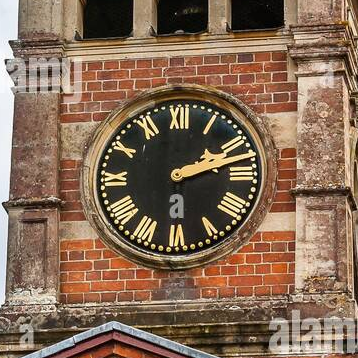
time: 2:12
